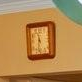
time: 11:32
